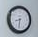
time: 8:31
